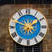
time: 1:49
